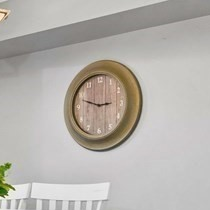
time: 2:48
